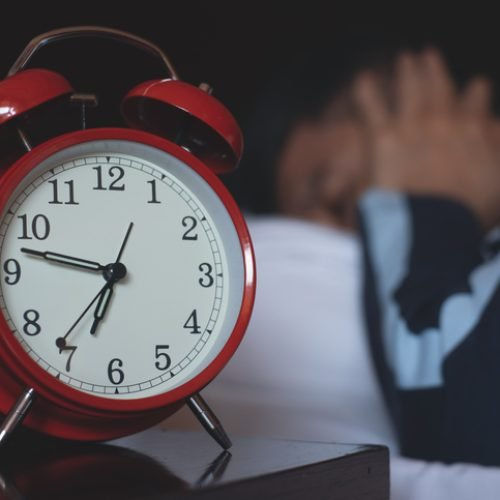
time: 6:47
